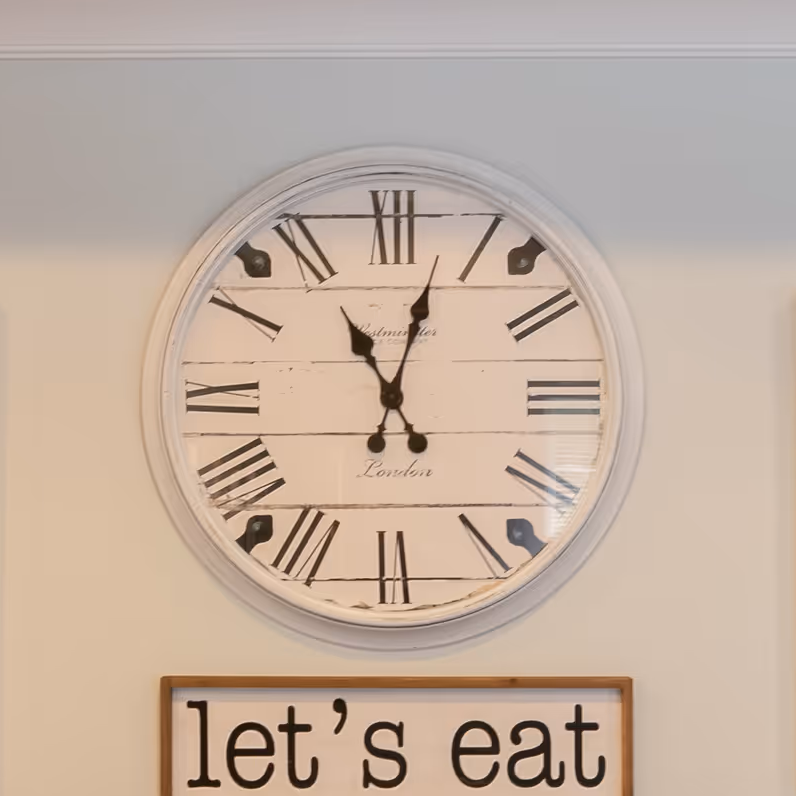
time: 11:02
